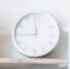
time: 11:44
